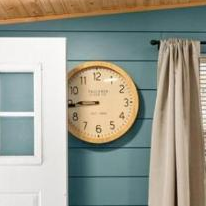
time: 8:45
